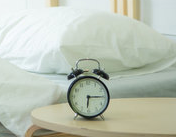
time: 6:15
